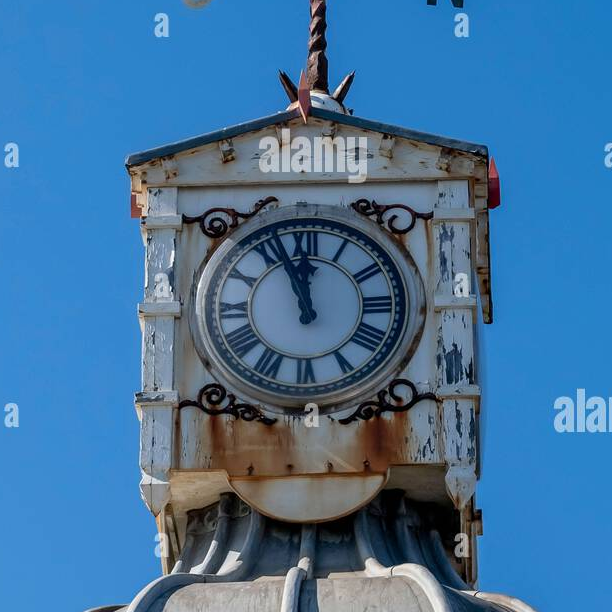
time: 11:56
